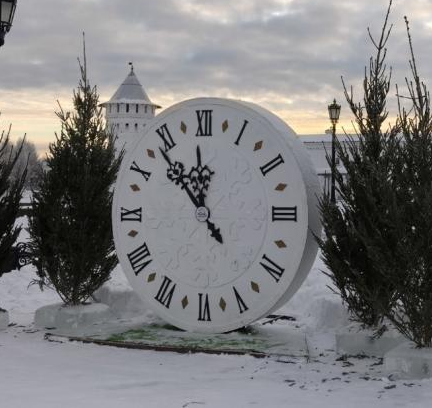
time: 11:53
